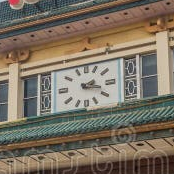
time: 2:17
